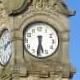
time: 5:31
